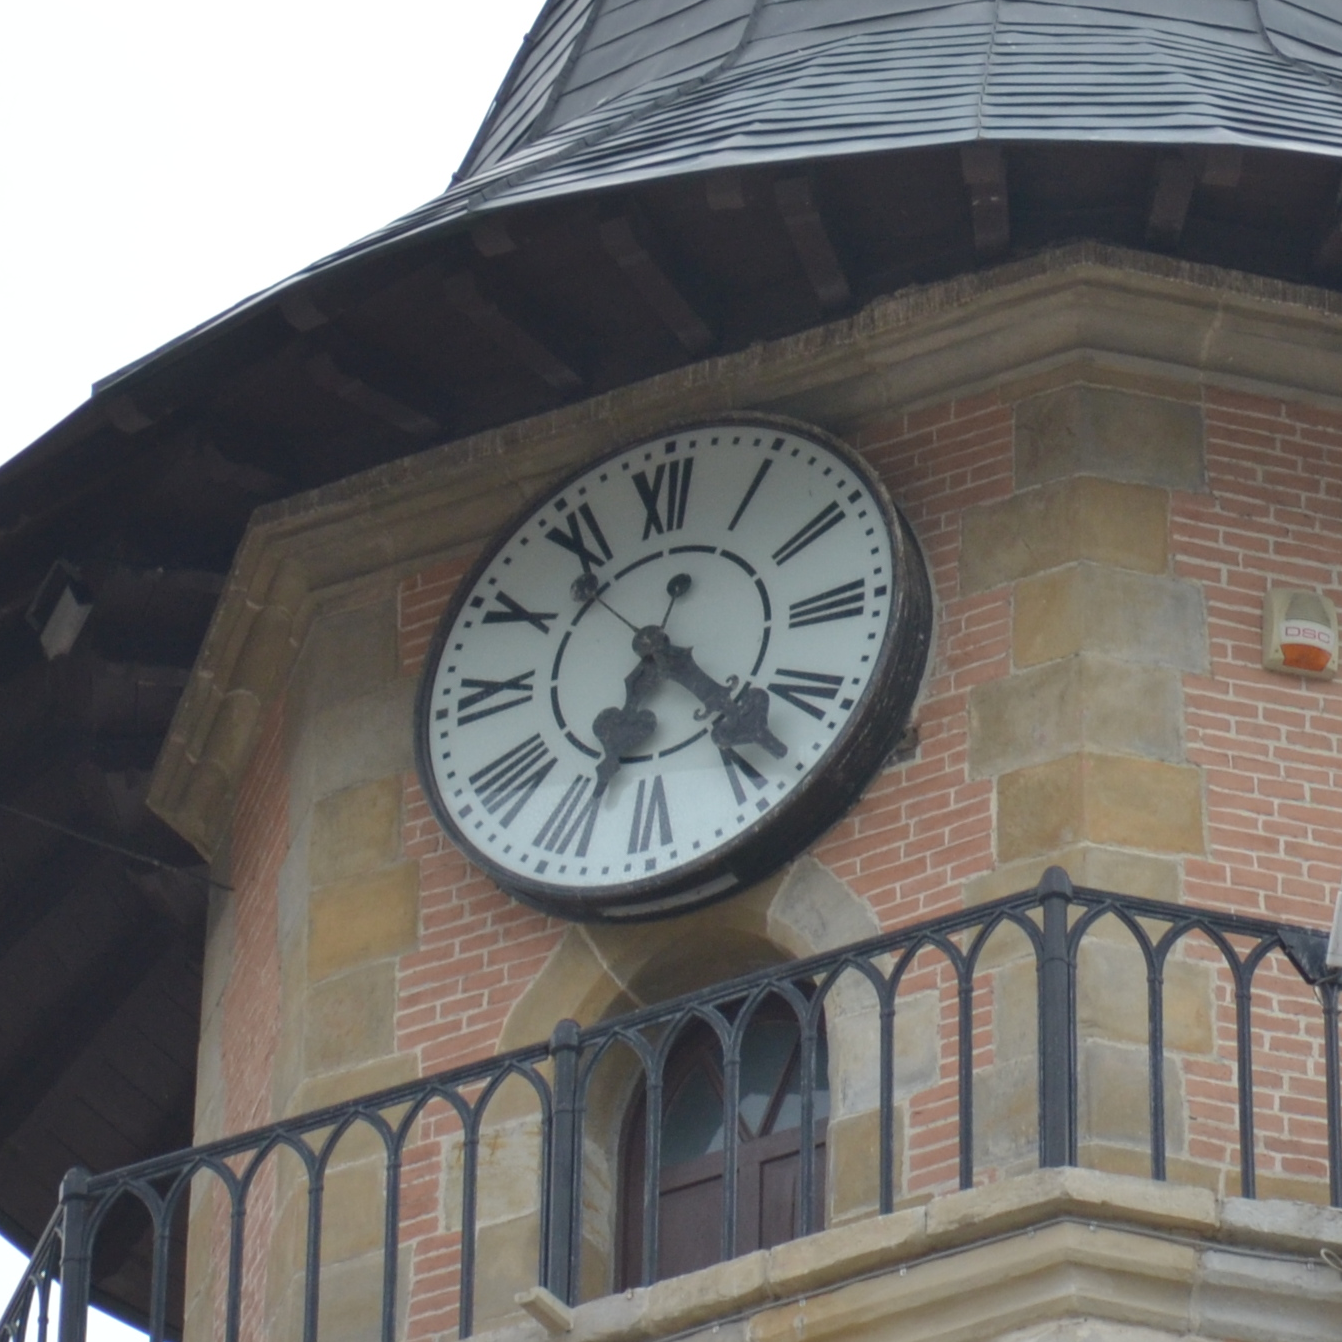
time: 4:33
